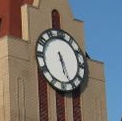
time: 5:26
